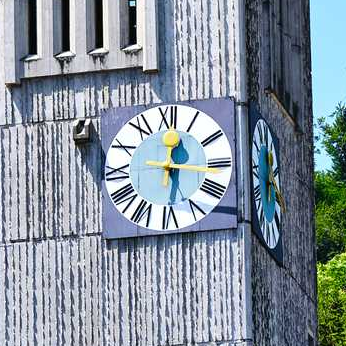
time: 12:16
